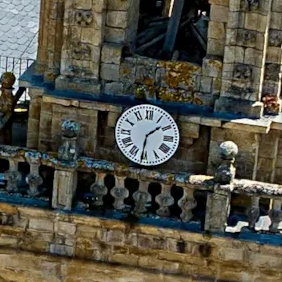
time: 1:31
